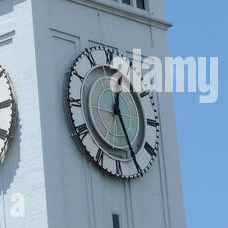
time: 12:25
